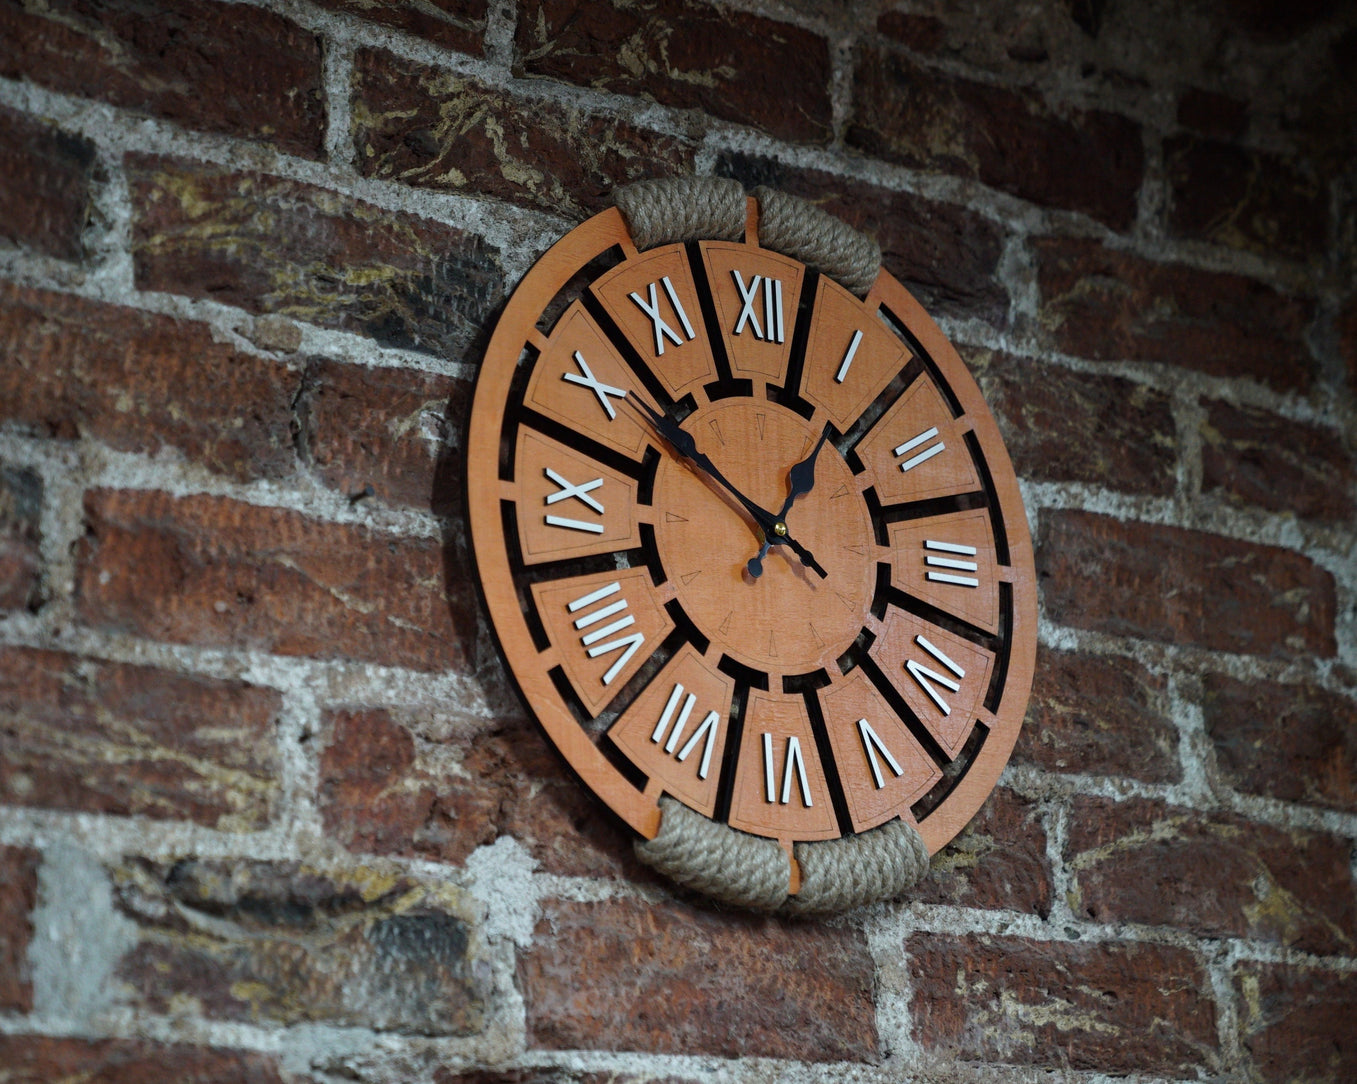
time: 10:07
